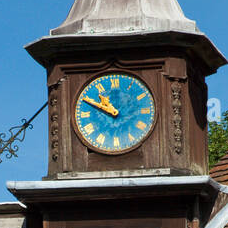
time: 10:49
